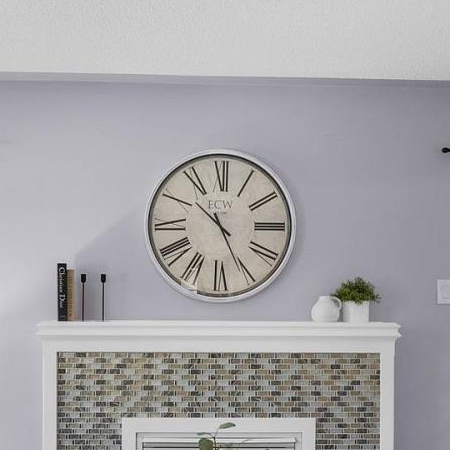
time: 10:25
